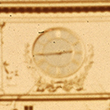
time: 2:44
